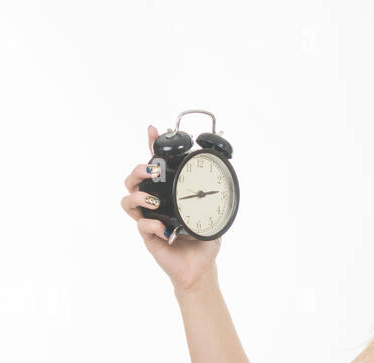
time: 2:43
